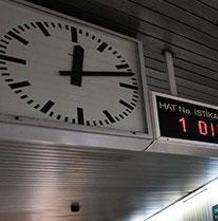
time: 12:12
